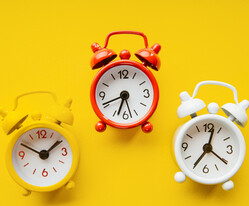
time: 6:41
